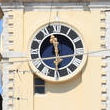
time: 11:57
